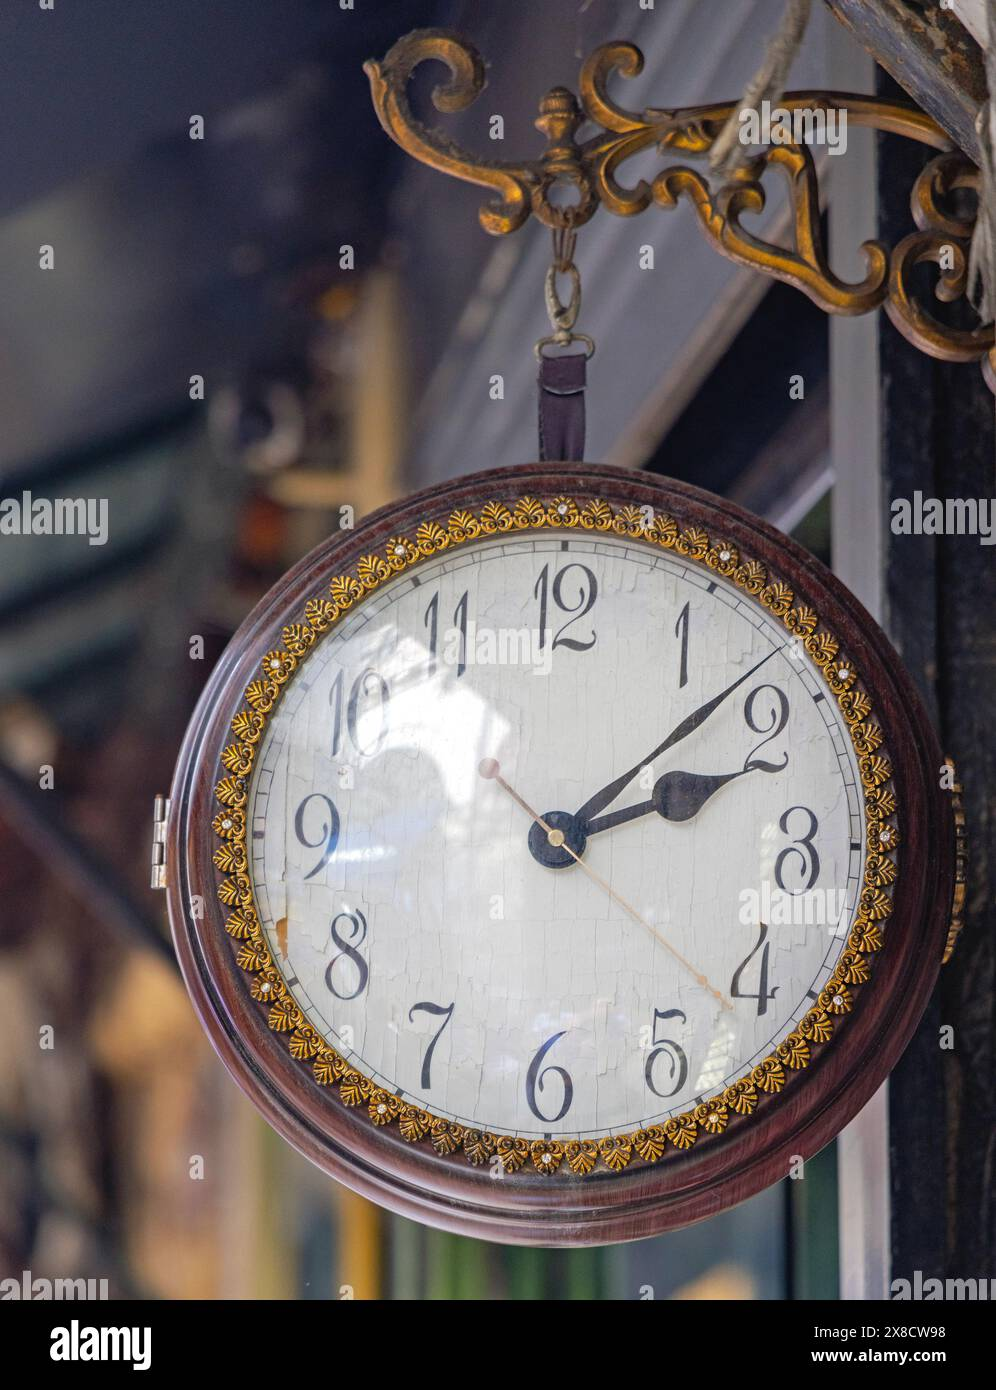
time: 2:07
